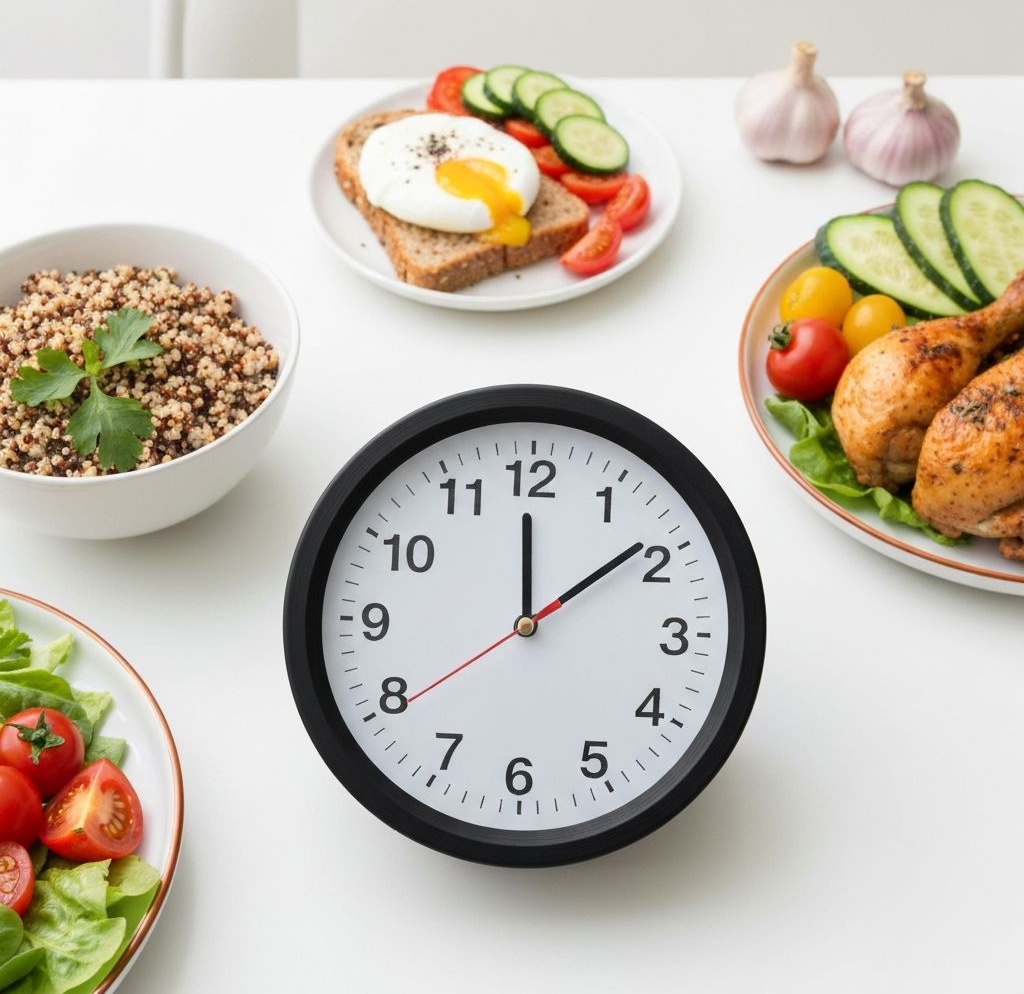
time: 12:08
